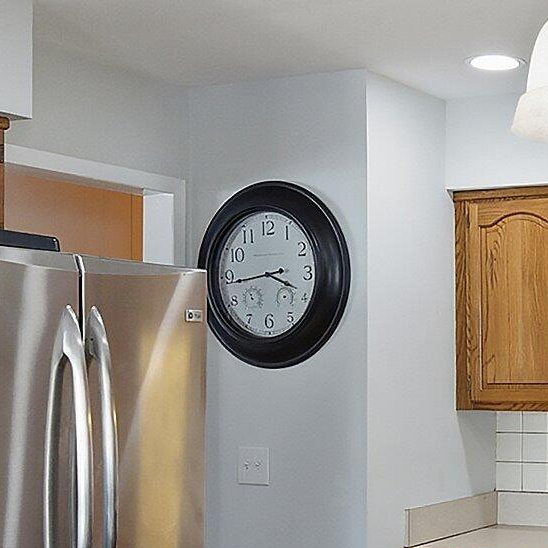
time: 3:43
